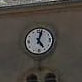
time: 5:03
